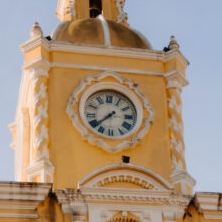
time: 7:37
